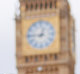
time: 12:45
